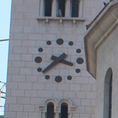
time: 3:38
